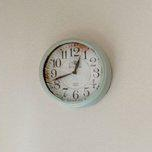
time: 12:42
